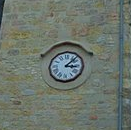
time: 3:07
